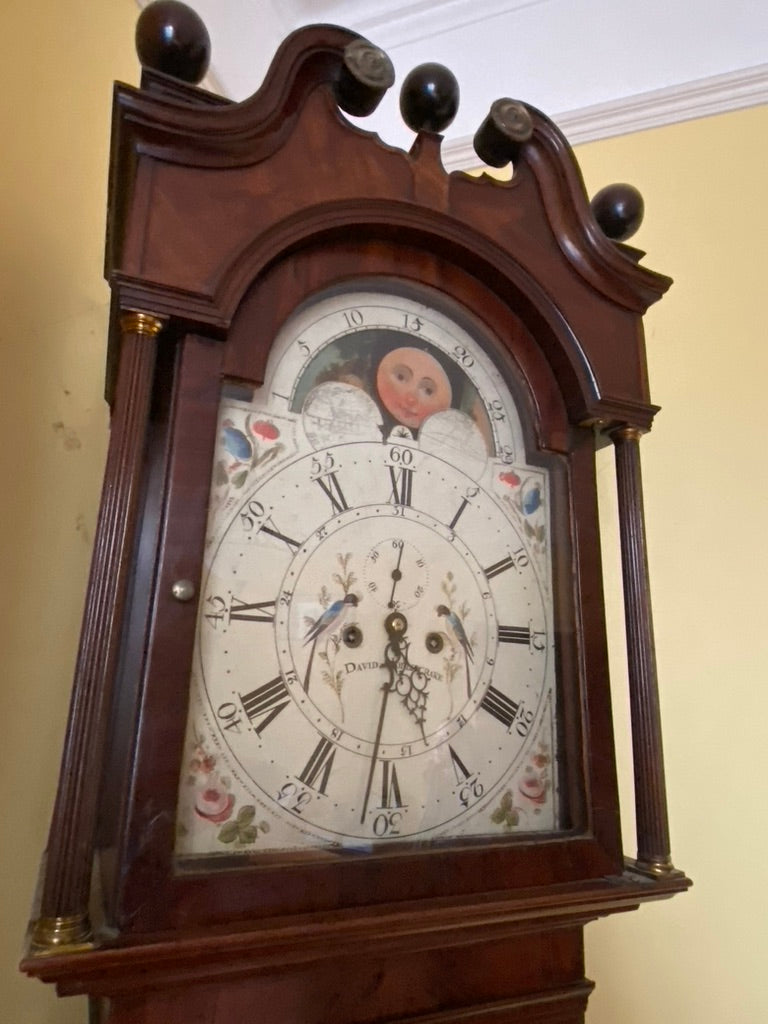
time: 8:31
